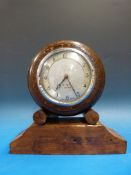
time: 7:25
